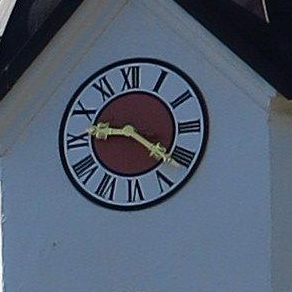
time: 9:21
